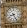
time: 8:25
